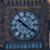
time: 10:20
